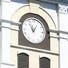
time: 12:55
